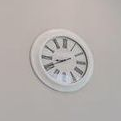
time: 8:40
